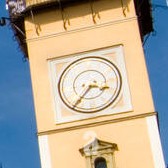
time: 3:37
